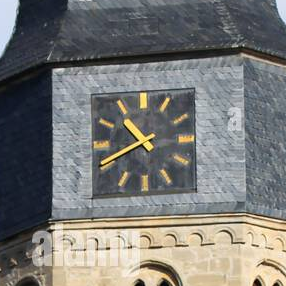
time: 10:40
